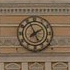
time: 1:56
